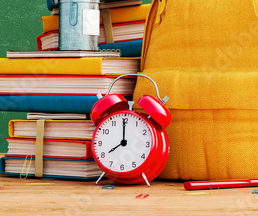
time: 7:59
